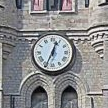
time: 12:34
